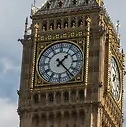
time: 1:23
